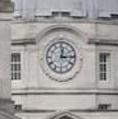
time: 12:14
